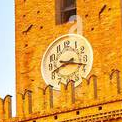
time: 8:17
